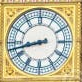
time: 8:42
